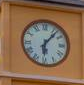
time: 6:06
